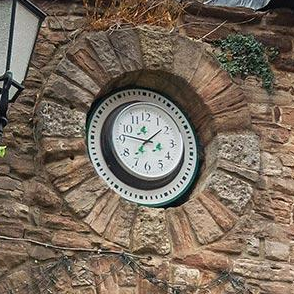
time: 1:46
